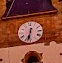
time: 6:32
